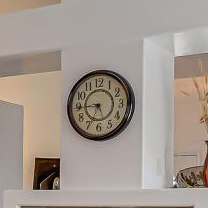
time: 5:44
